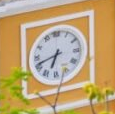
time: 6:41
